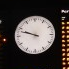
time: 9:48
